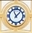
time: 11:07
